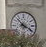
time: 3:52
